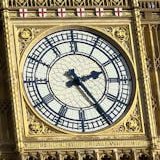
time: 2:24
